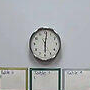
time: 6:01
